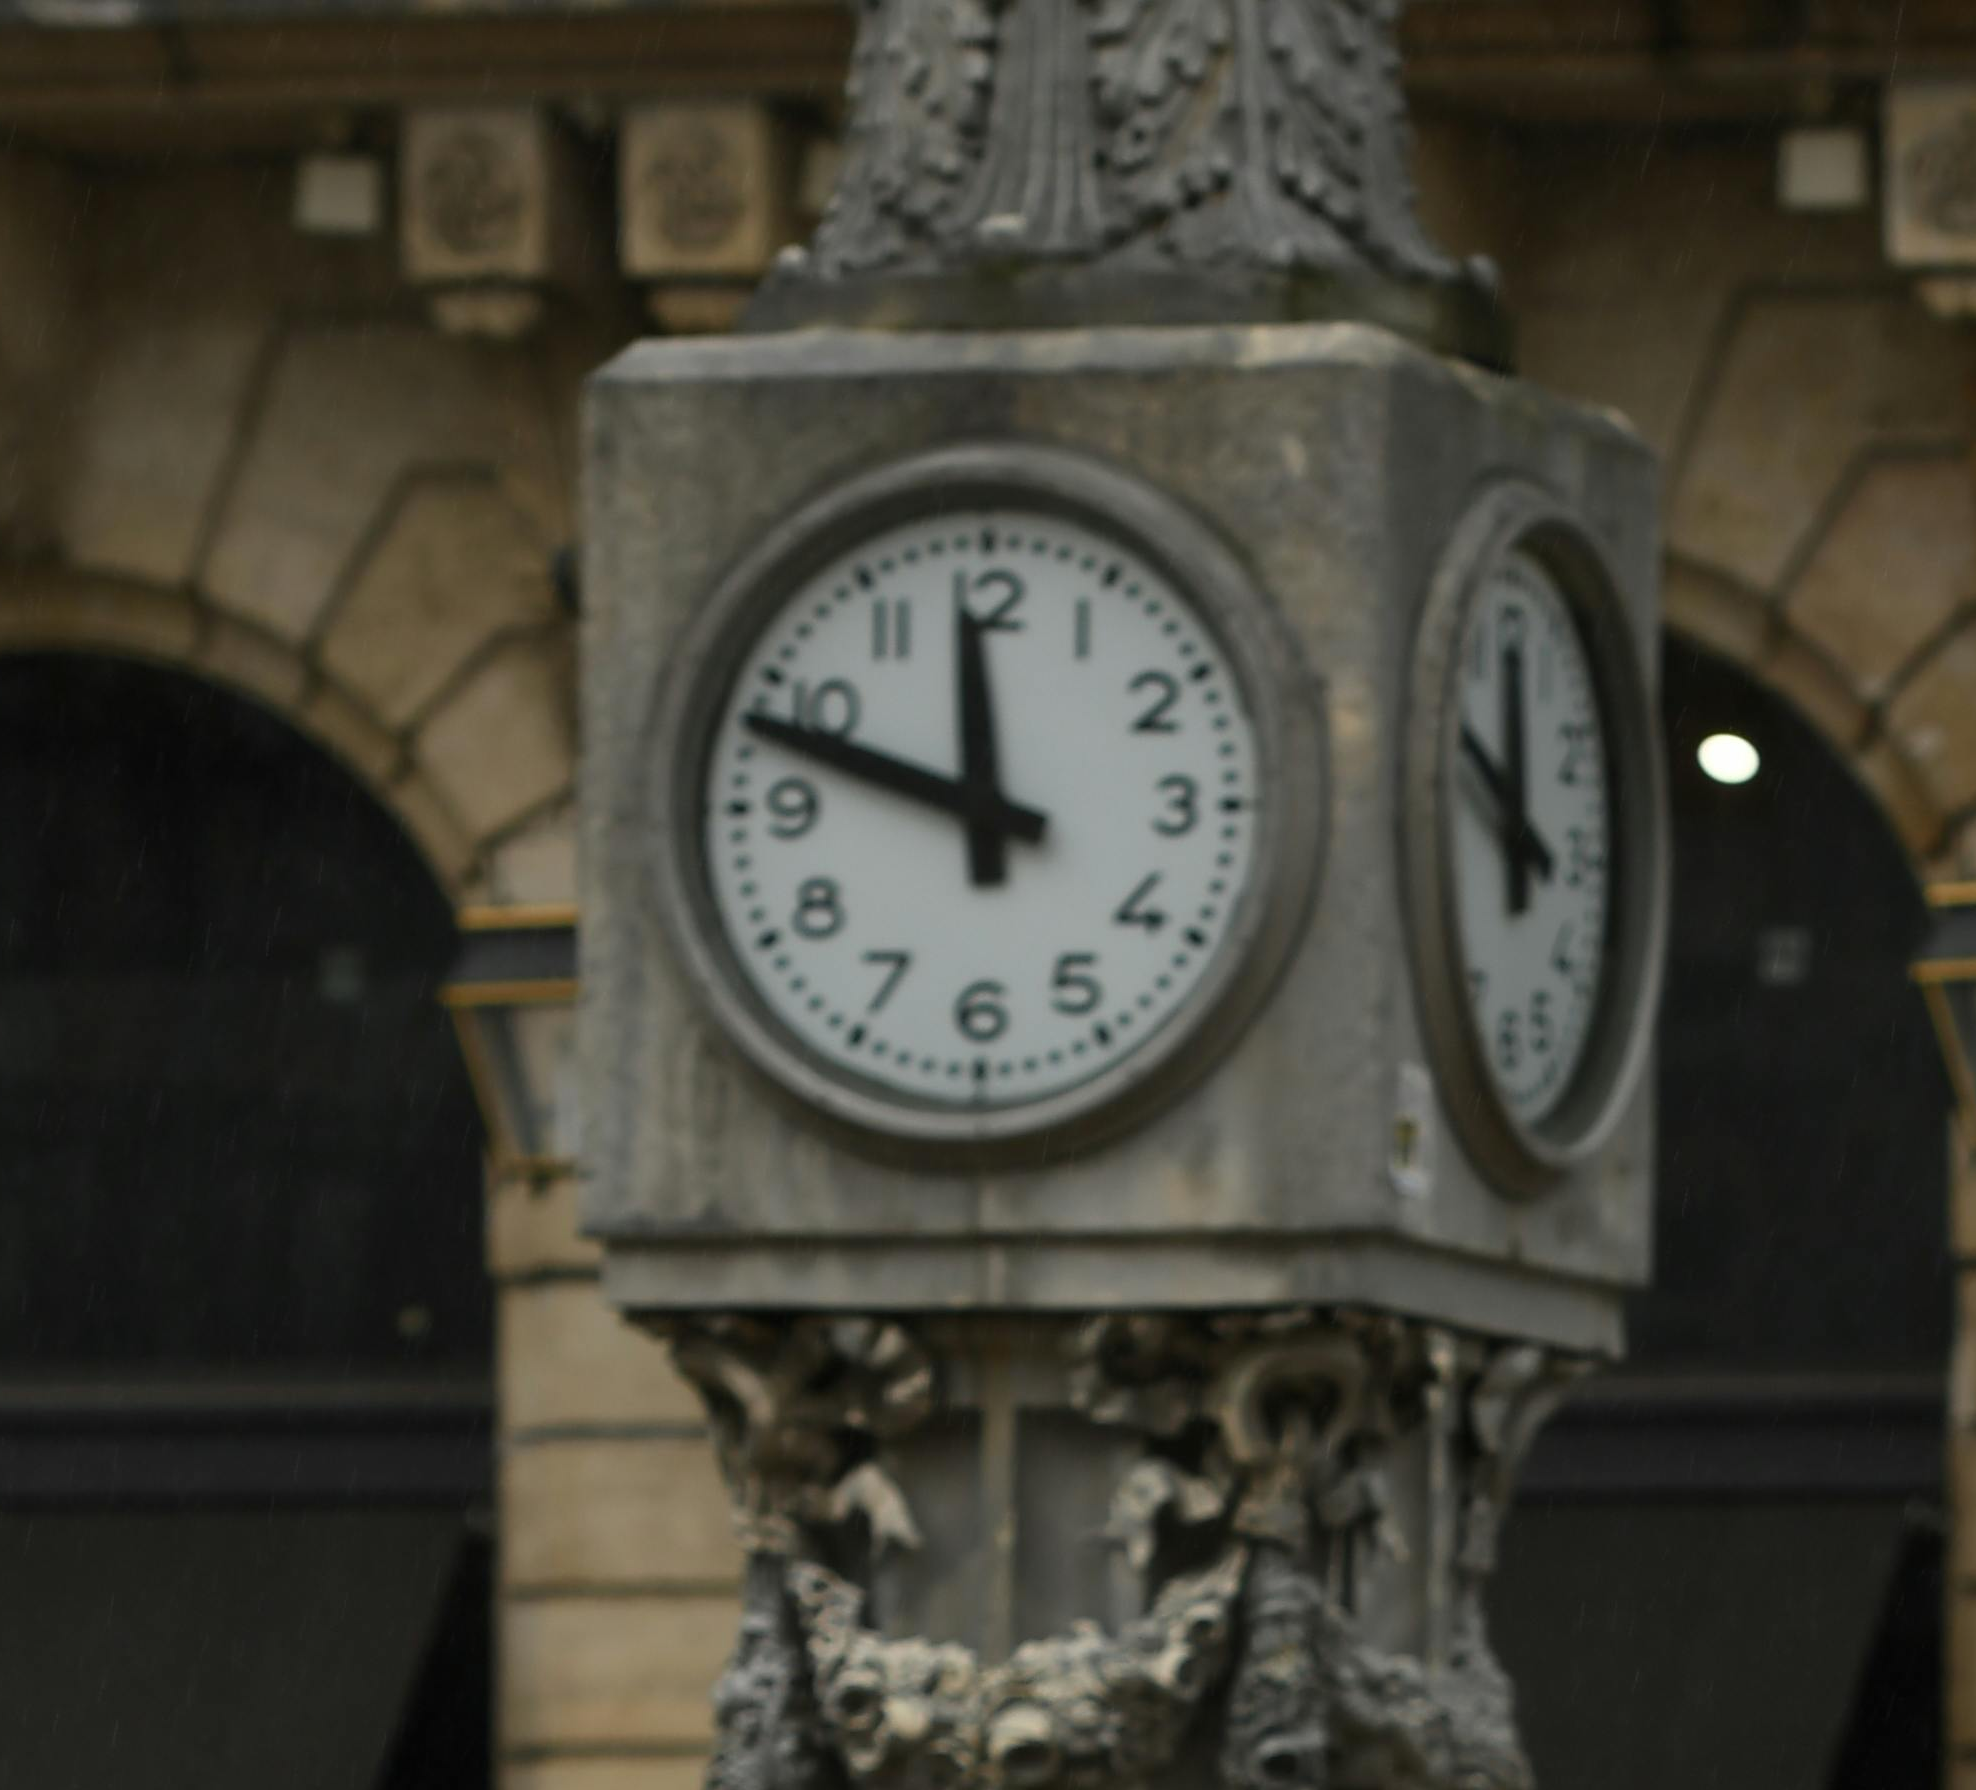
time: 11:48
